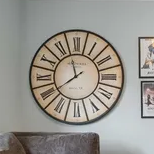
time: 7:57
